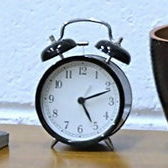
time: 5:11
